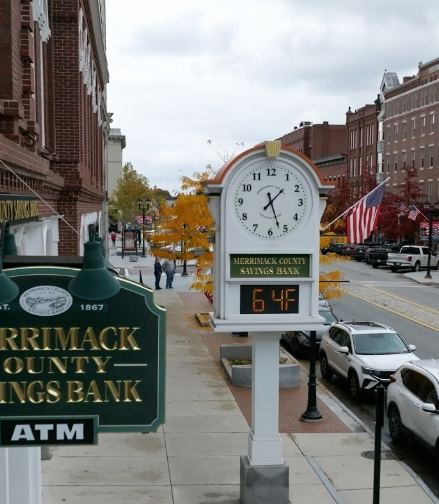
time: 1:26
